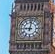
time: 9:01
